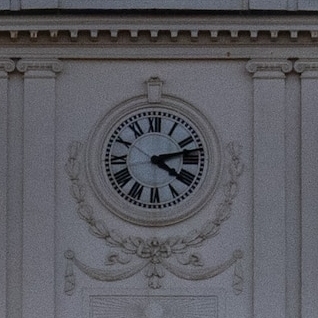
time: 4:12
